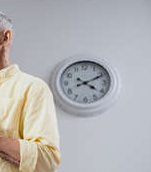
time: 4:10
